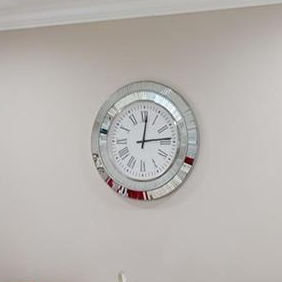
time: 12:14
